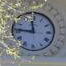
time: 11:46
